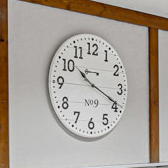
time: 10:19
